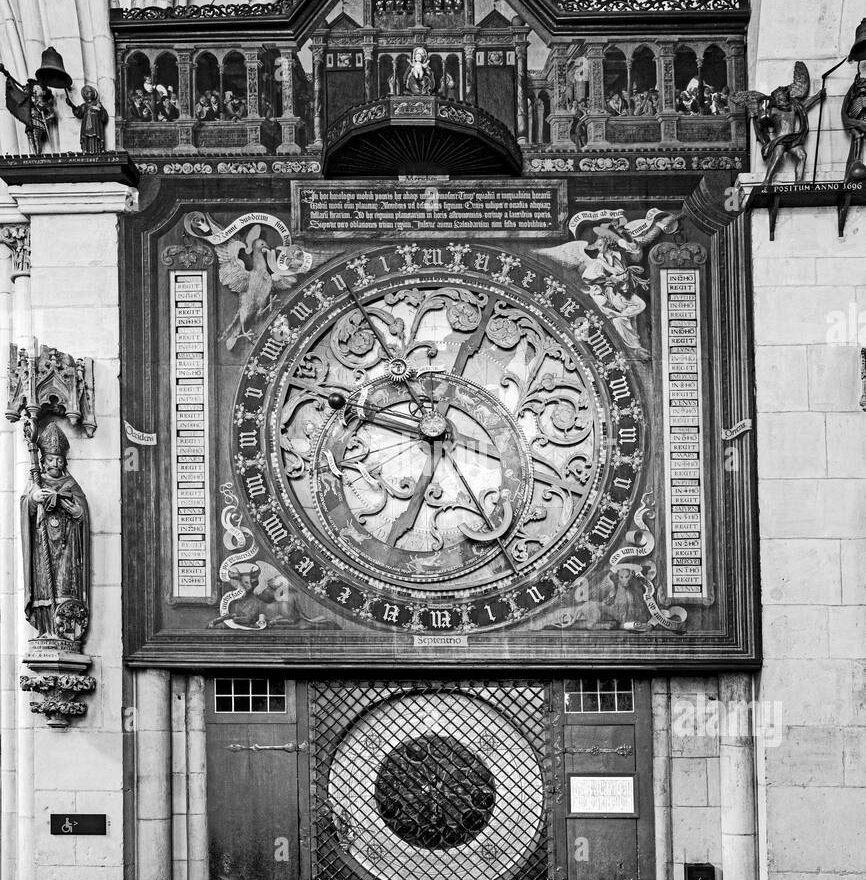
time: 9:32
